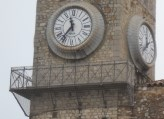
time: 11:36
